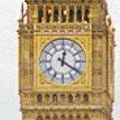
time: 12:20
